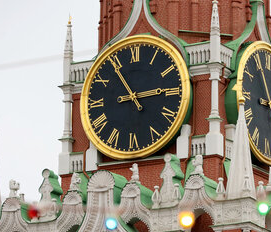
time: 2:54
